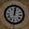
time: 12:01
